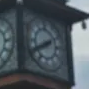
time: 1:40
